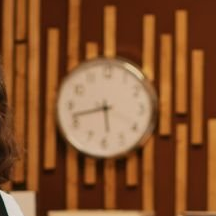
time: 5:42
